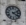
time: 4:12
